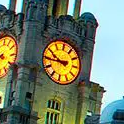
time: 9:44
